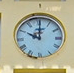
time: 10:00
